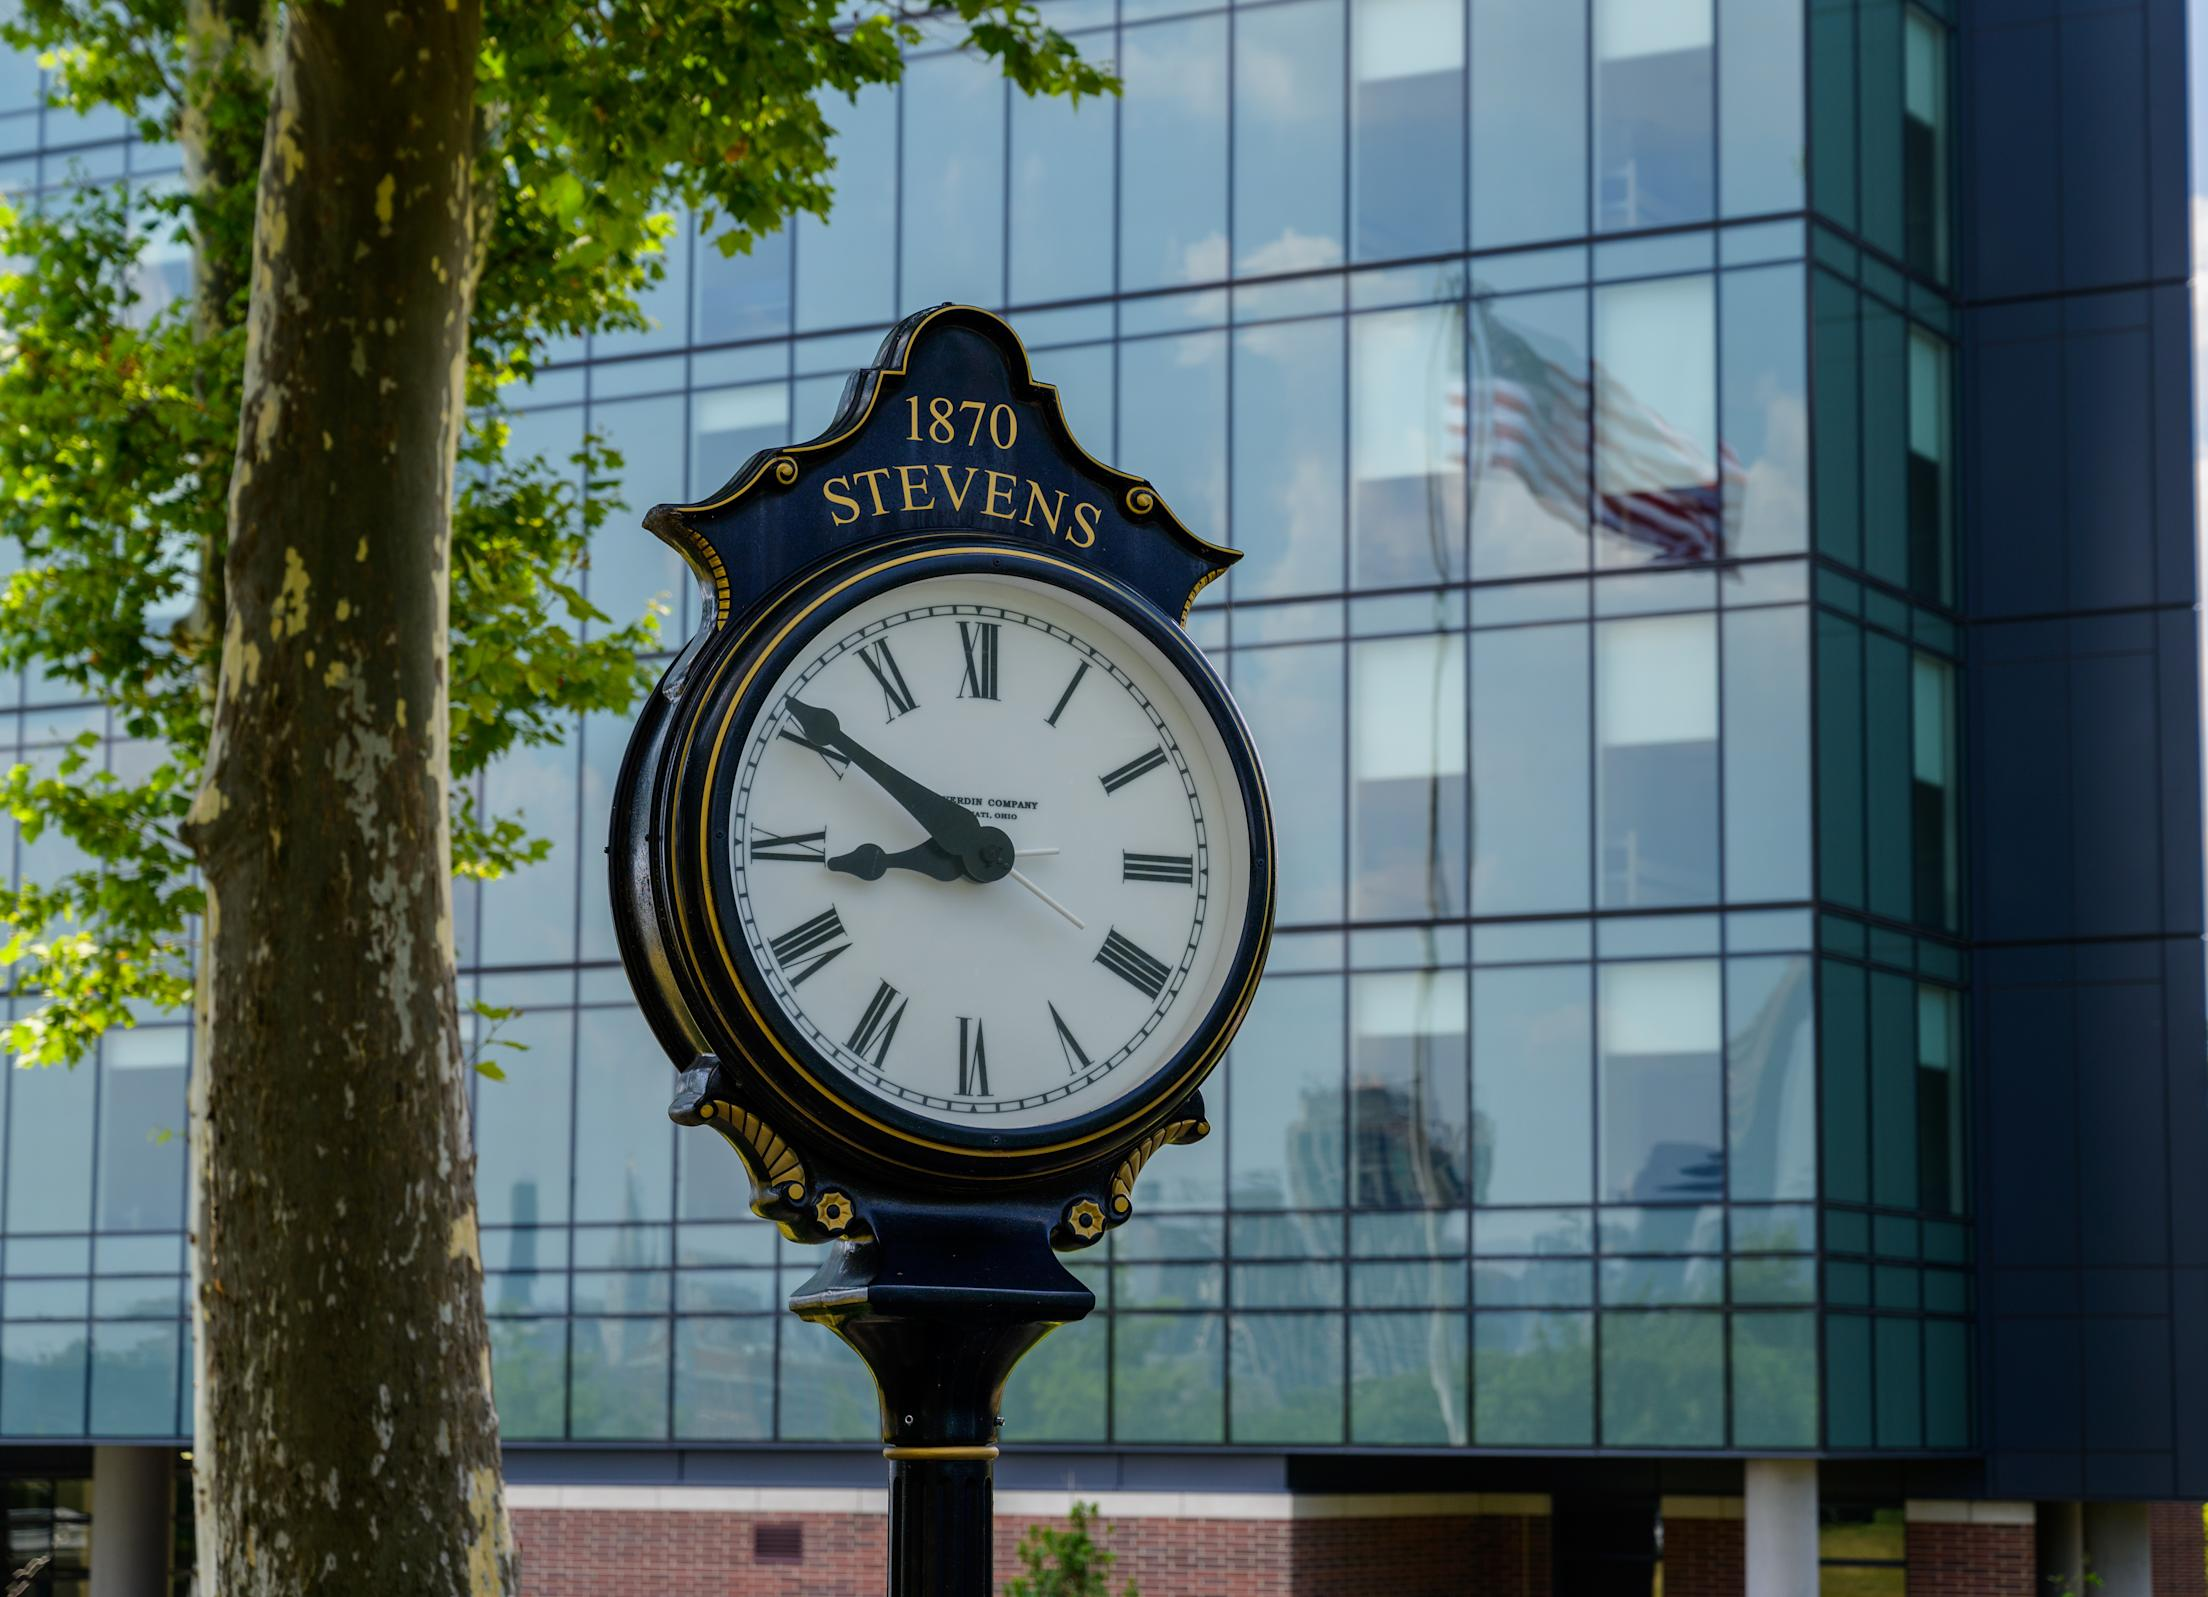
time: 8:50
